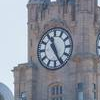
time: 11:25
